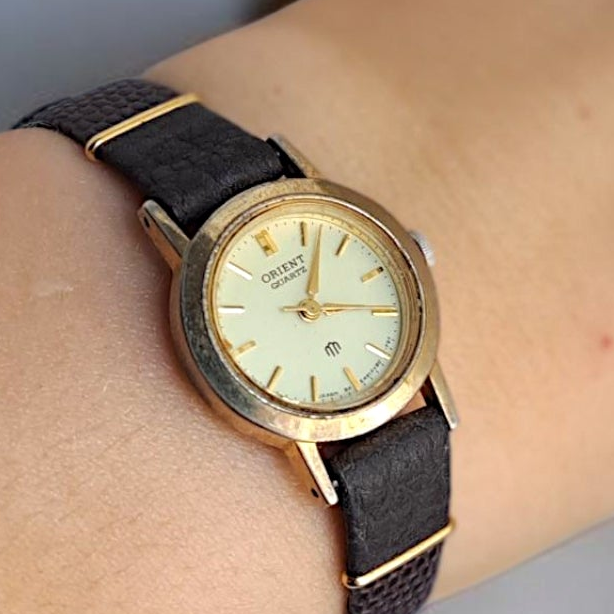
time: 12:14
